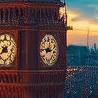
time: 8:45
